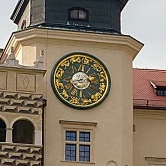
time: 8:36
